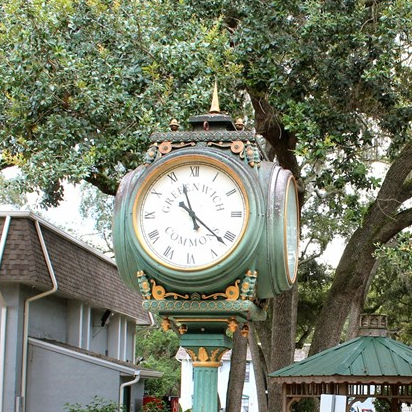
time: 11:21
